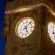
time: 5:07
